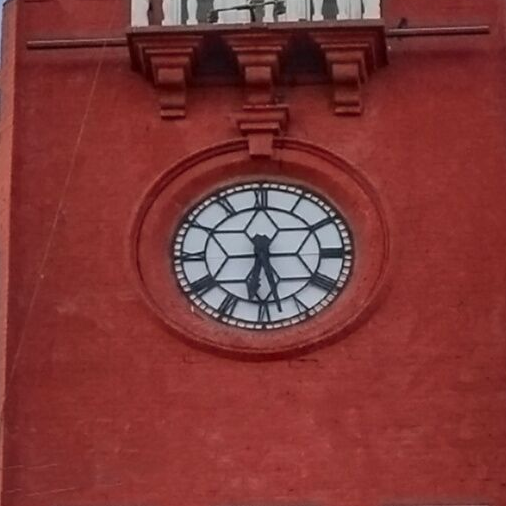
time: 6:27
